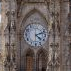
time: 4:12
